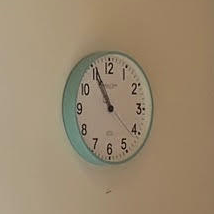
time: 10:55
